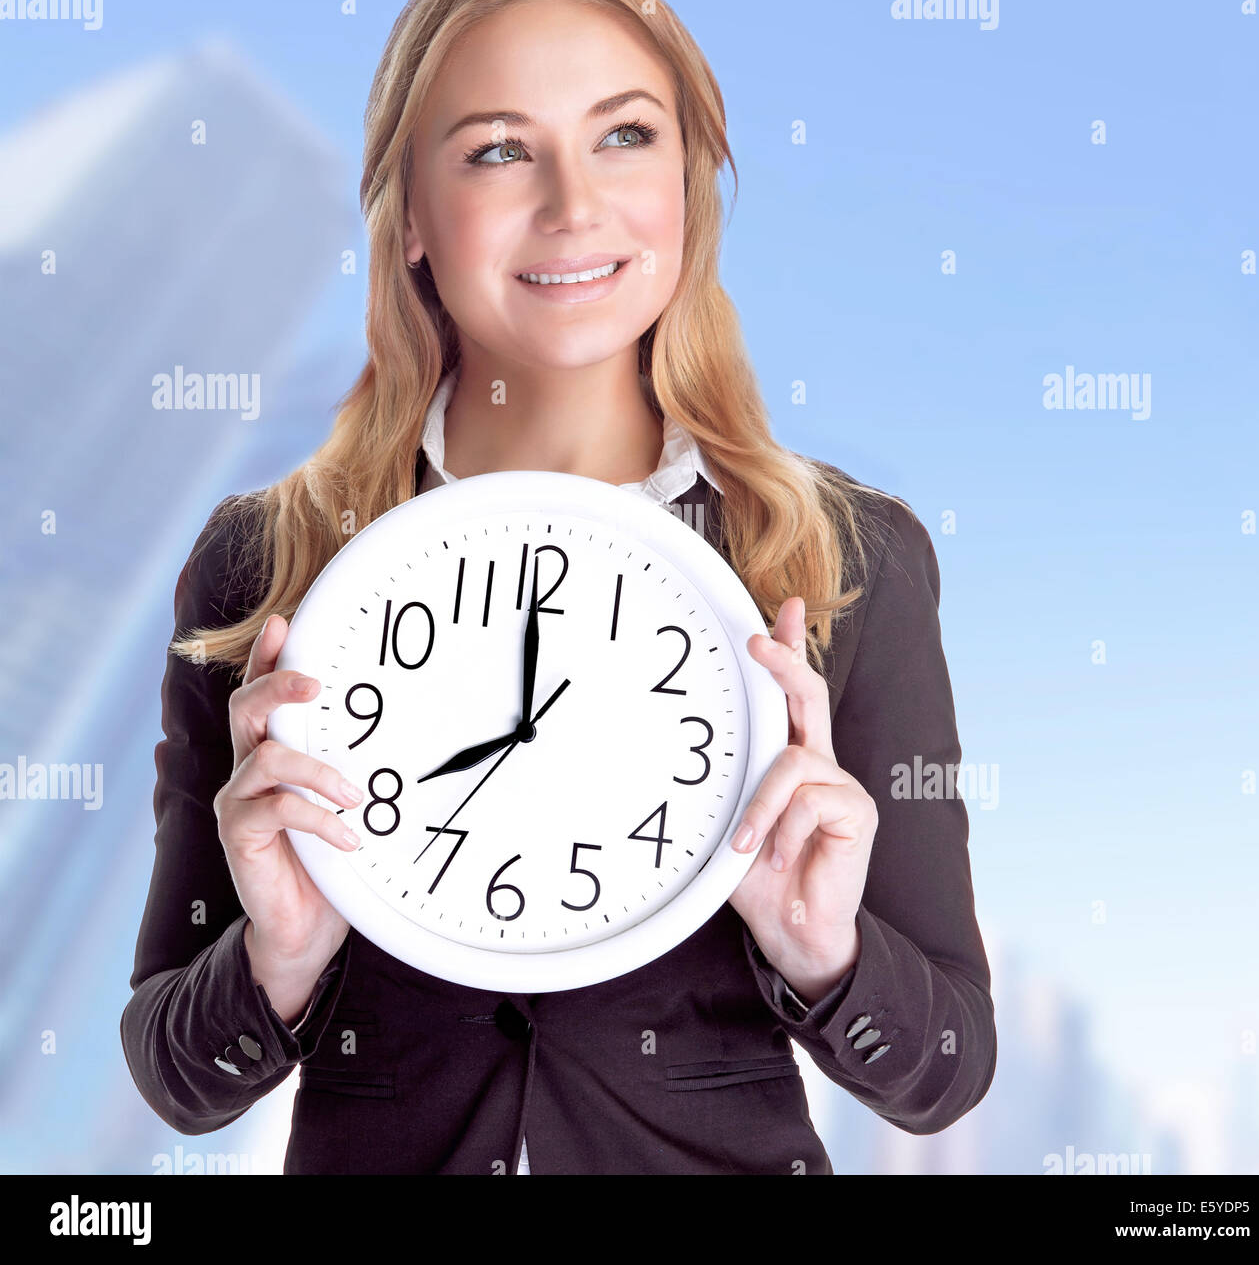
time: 7:59
